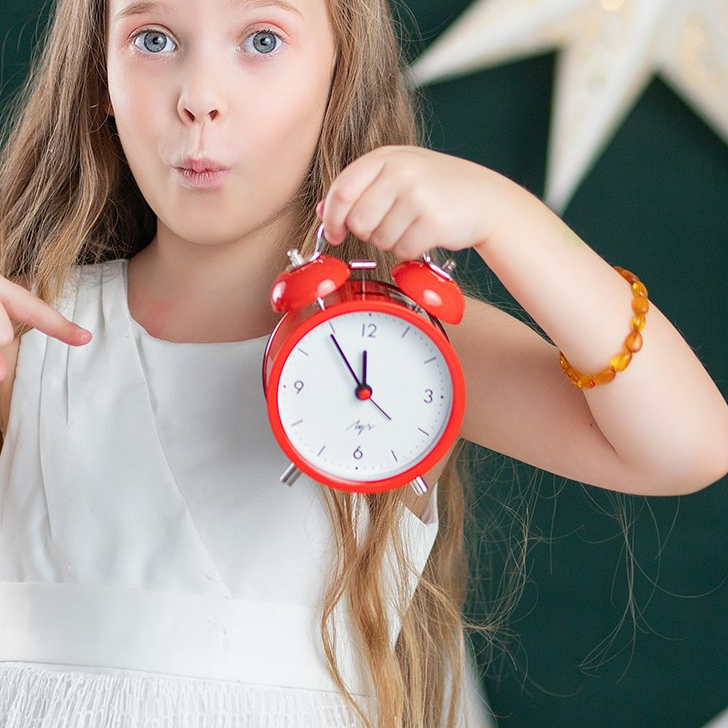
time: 11:54
